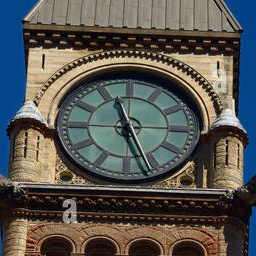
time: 11:26
